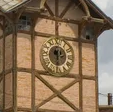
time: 11:30
